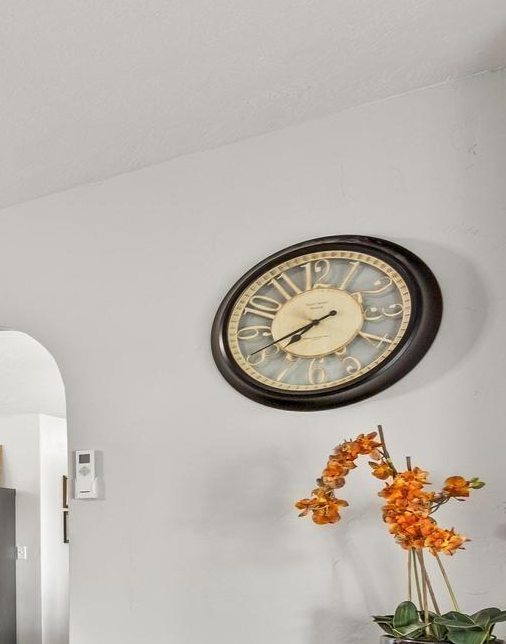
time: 7:40
